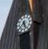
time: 7:25
